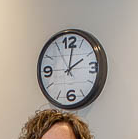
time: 2:01
